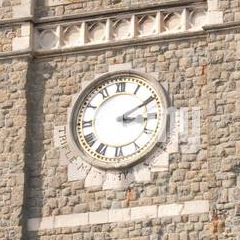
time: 3:10
